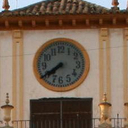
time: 7:39
